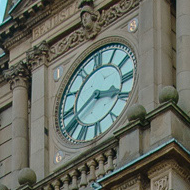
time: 3:40
